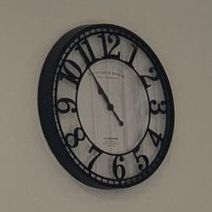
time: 10:53
